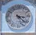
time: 3:22
